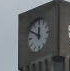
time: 11:50
